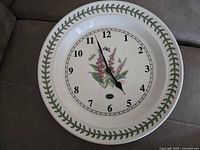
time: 4:57
